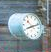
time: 8:11
